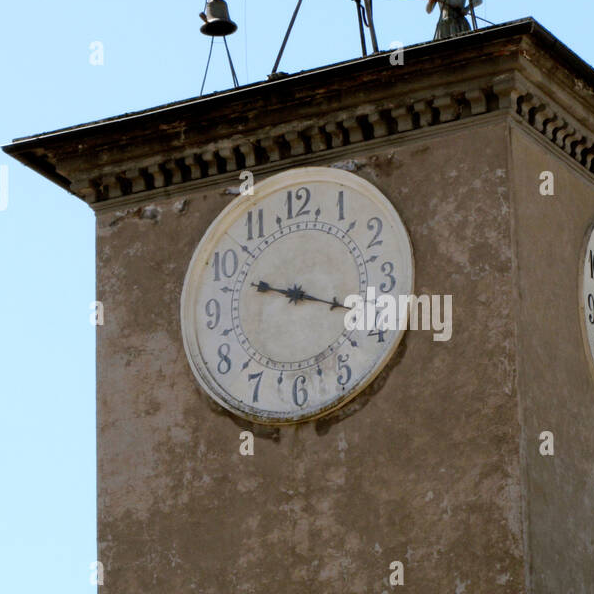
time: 3:48
